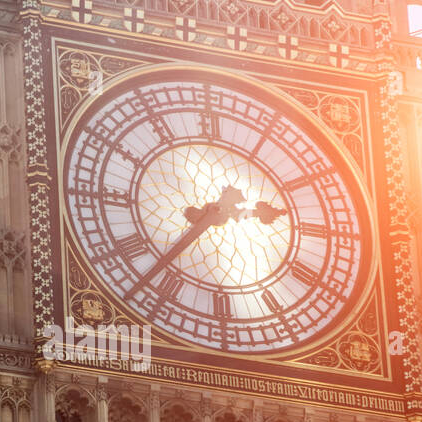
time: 2:36
